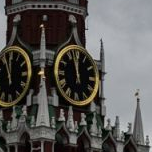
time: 11:57
